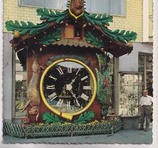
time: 1:24
